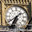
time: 1:33
